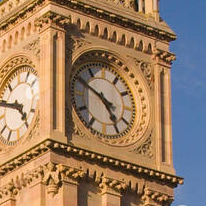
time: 4:49
